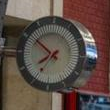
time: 7:51
